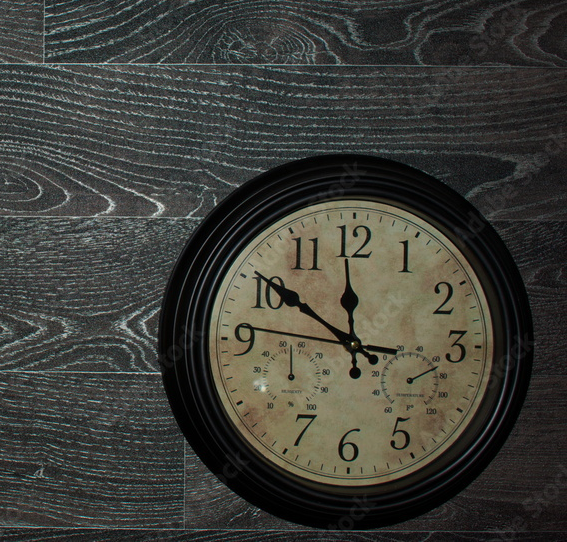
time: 11:50
